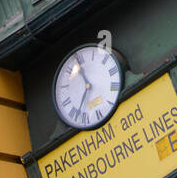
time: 10:33
